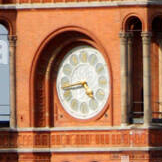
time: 4:43
